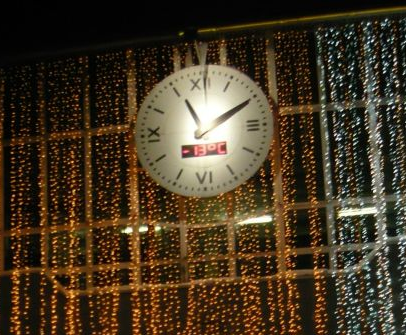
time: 11:10
